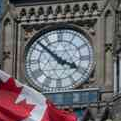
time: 3:52
